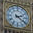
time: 2:21
